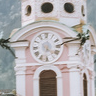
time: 6:21
